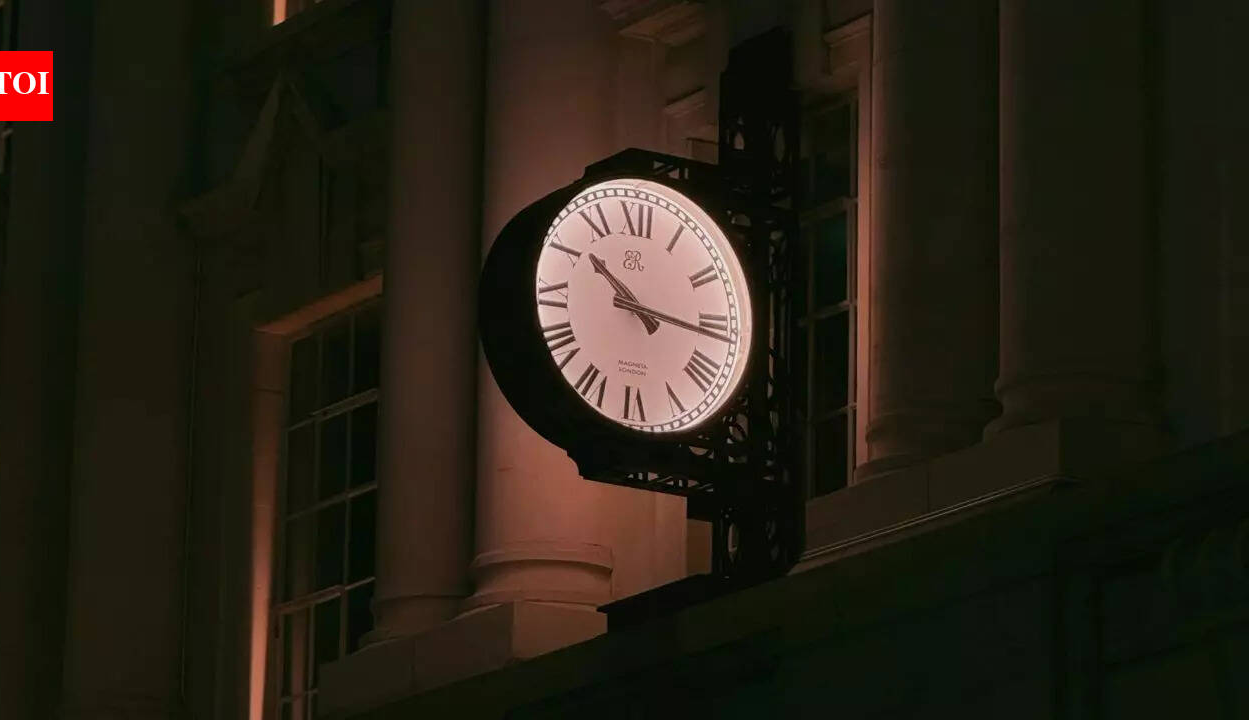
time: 10:16
